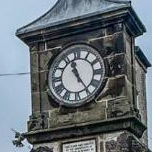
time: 11:24
